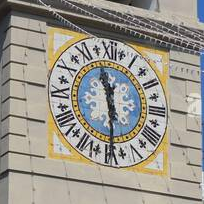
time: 11:29
